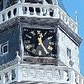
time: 12:24
